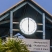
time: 6:00
